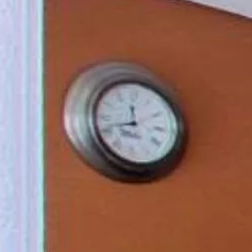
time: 11:42
